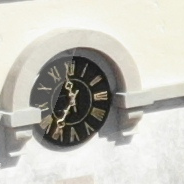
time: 11:35
